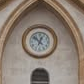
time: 12:52
